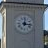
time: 12:16
